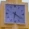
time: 6:21
